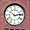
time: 10:13
